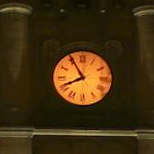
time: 7:55
